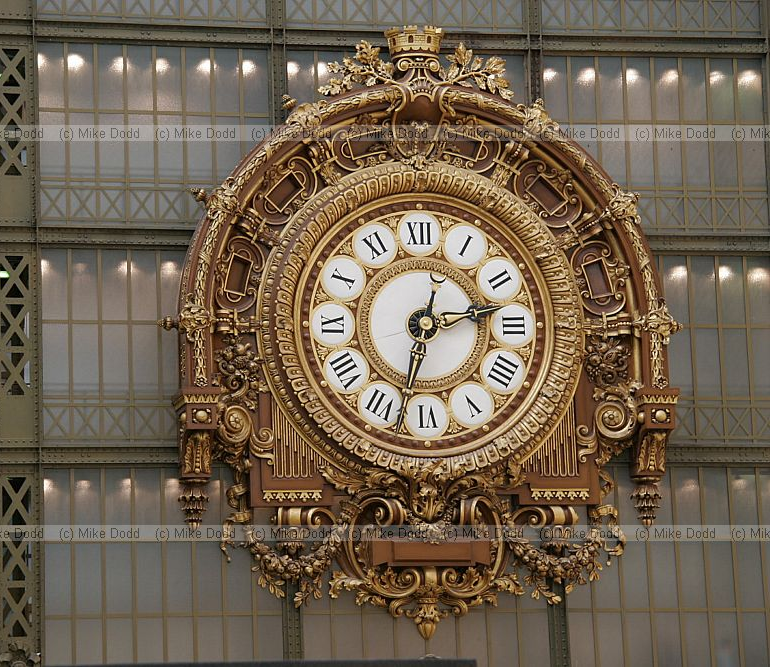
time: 2:32
